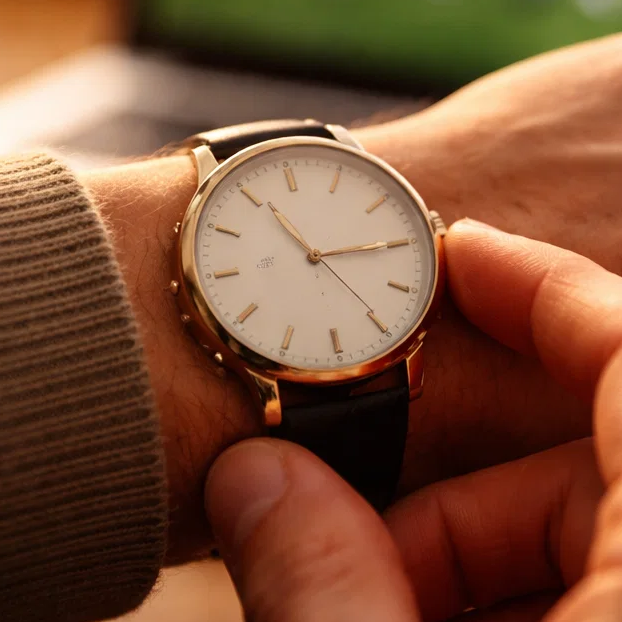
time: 10:14
